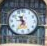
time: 11:35
